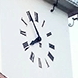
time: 7:55
